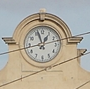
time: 12:56
